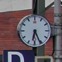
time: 6:25
